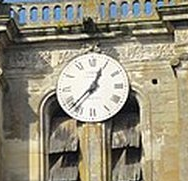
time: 12:37
